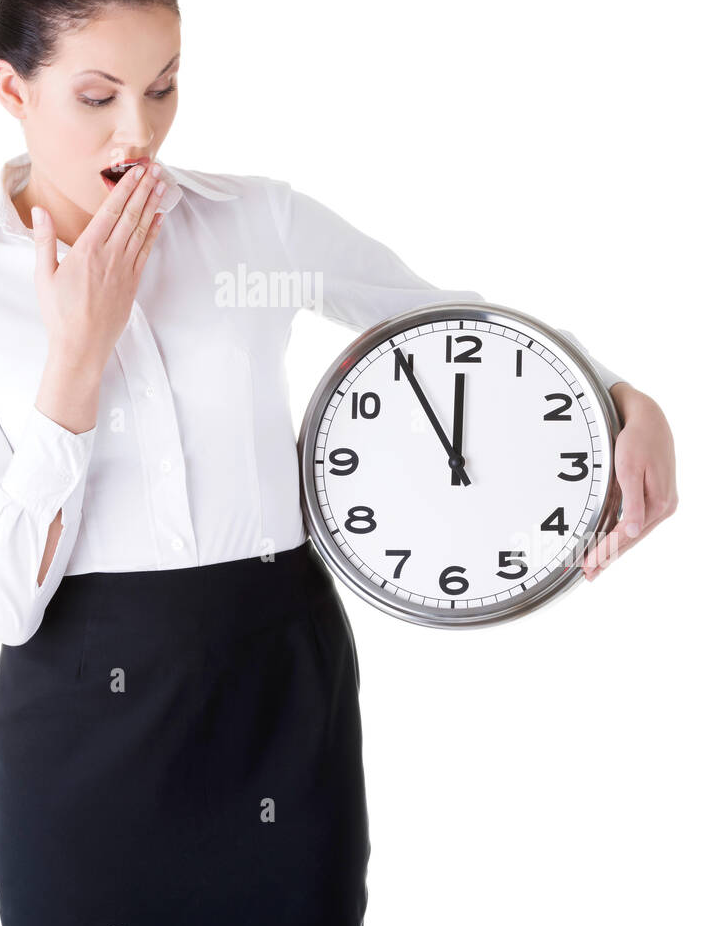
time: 11:54
